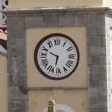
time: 6:48
